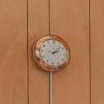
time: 2:07
